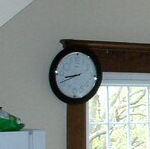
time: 8:41
